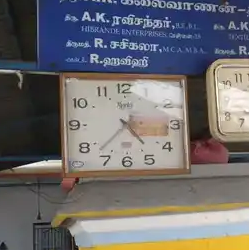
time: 4:37
